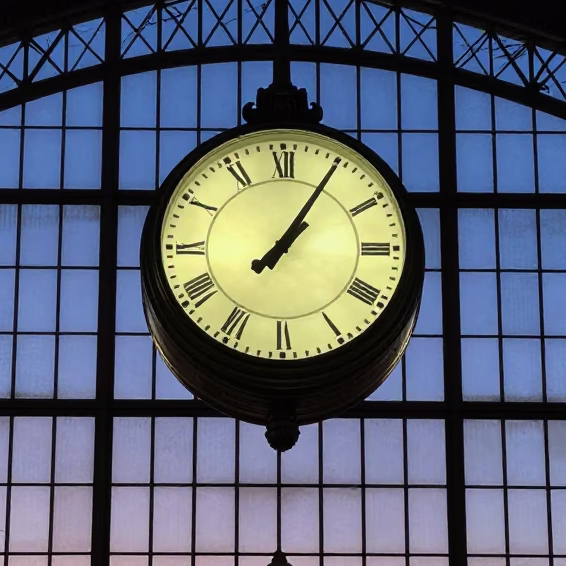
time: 1:05
